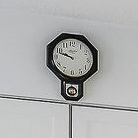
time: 9:47
